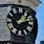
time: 1:13
